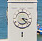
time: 3:22
